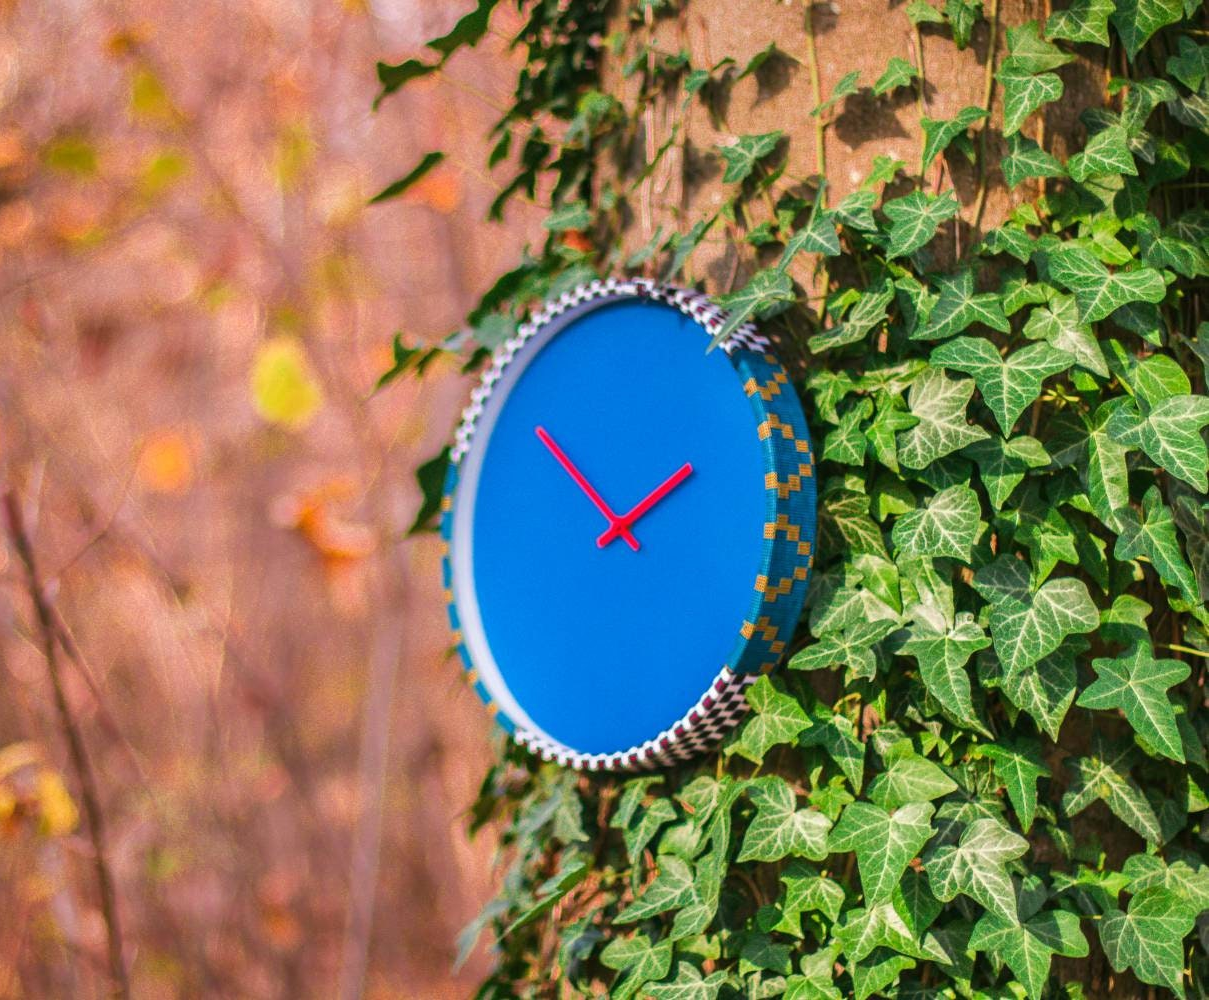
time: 1:50
